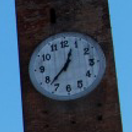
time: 12:37
